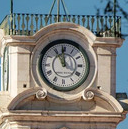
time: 3:58
